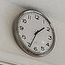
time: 1:34
